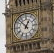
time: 12:52
